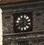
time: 11:40
